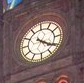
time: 4:20
